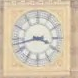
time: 3:42
